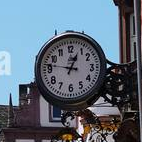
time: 12:46
